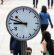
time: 8:47
